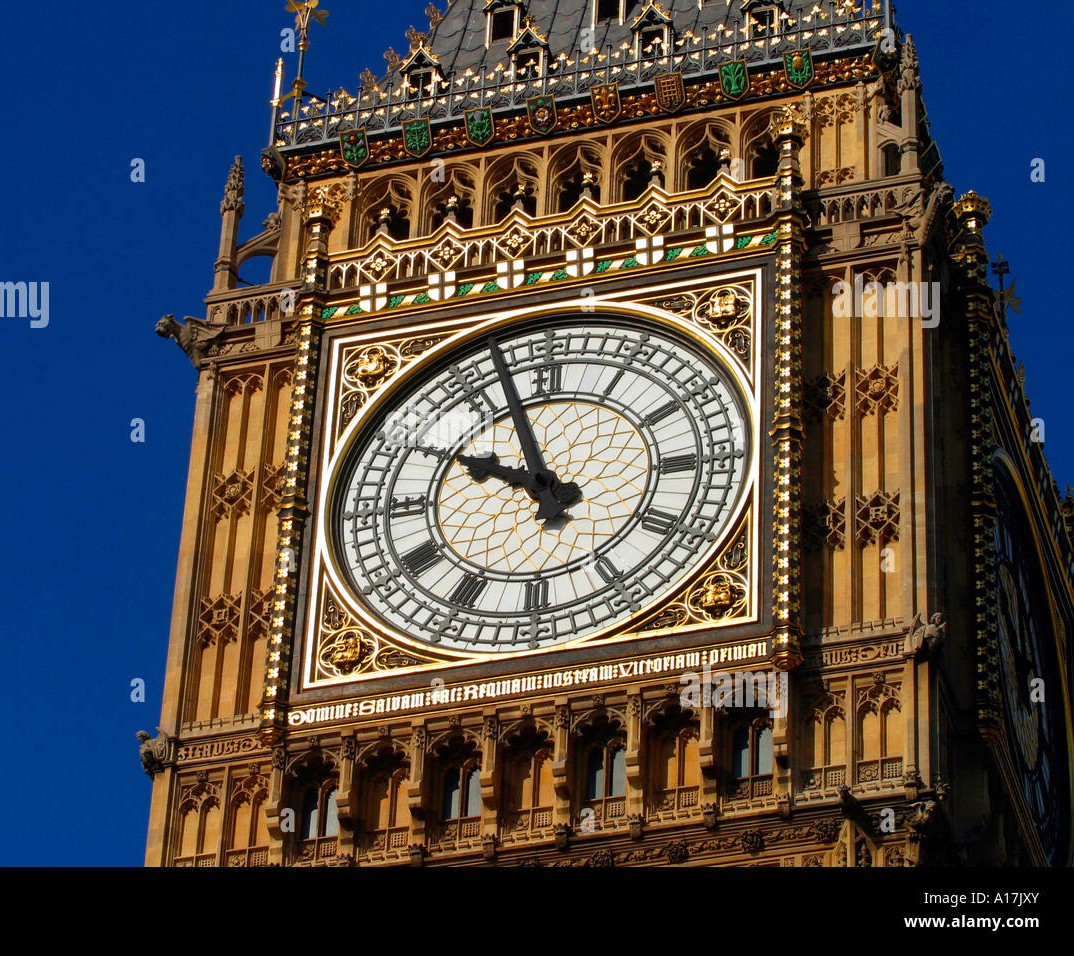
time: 9:57
